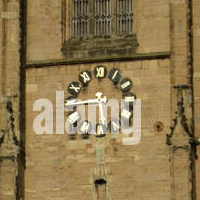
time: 5:45
